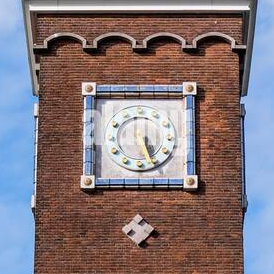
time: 5:26
